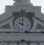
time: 9:59
